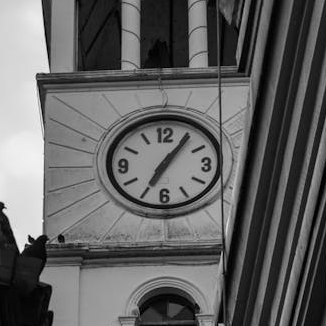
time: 7:06
